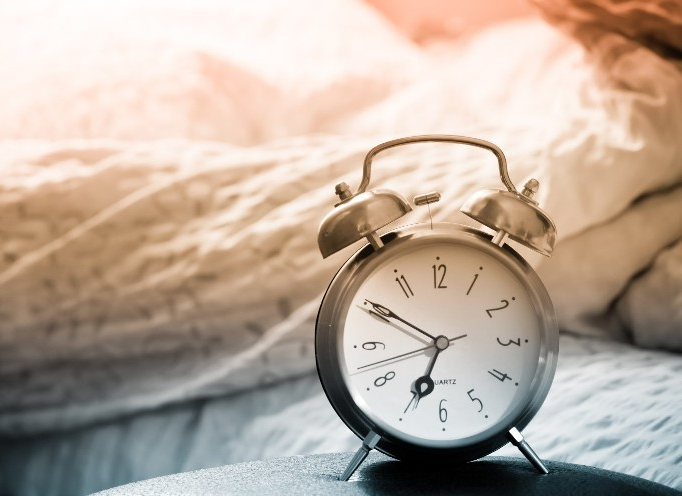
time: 6:50
